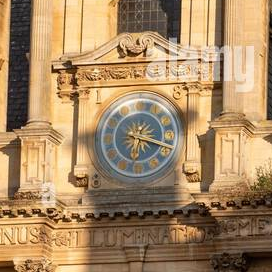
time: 6:18
